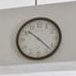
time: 10:22
